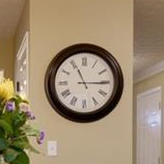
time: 11:14
